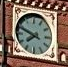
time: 7:48
